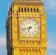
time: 6:42
